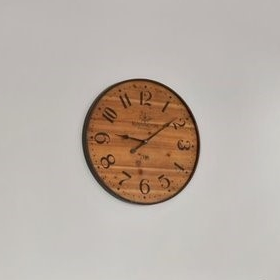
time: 9:08
